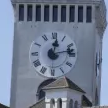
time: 12:12
